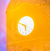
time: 5:49
